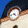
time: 4:42
